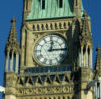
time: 12:14
